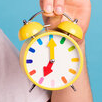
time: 7:00
